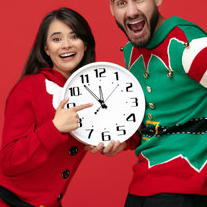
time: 11:53
